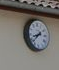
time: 8:38
